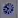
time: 9:36
